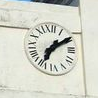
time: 7:09
